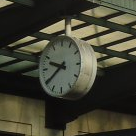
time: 9:39
